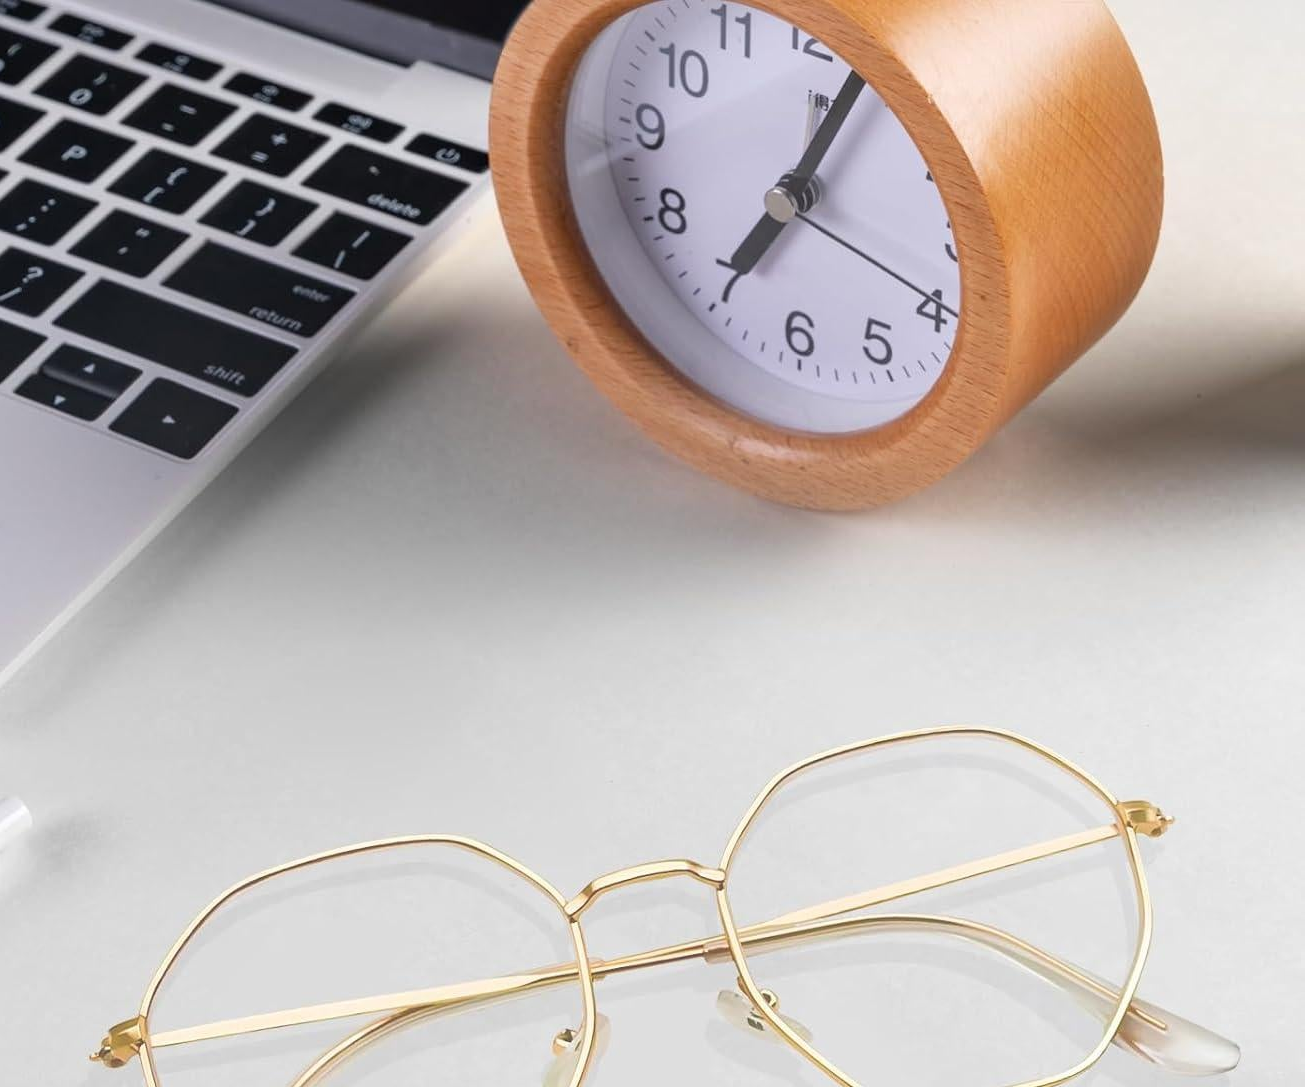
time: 7:04
